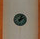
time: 2:03
